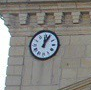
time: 12:04
